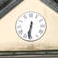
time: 6:31
